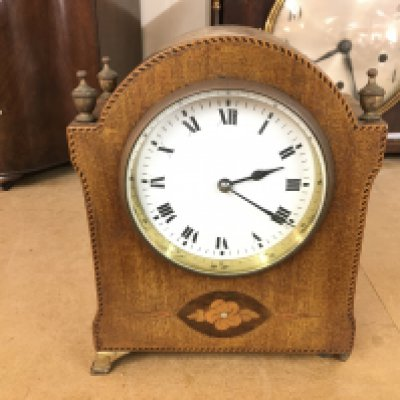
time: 2:20
